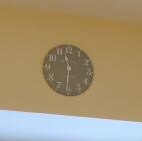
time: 11:30
